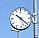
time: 10:22
